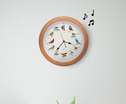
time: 3:36
